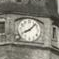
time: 8:07
